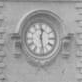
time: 12:28
